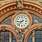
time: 8:36
